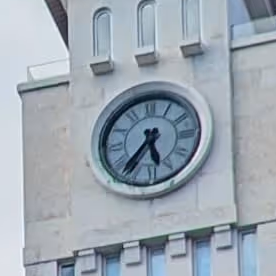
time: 5:36
